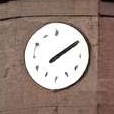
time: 2:09
